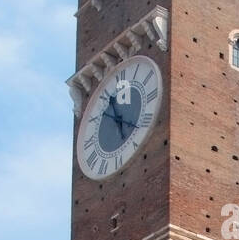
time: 11:21
